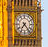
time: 7:23
